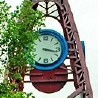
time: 3:17
